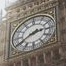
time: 2:40
